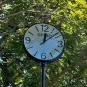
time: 12:08
